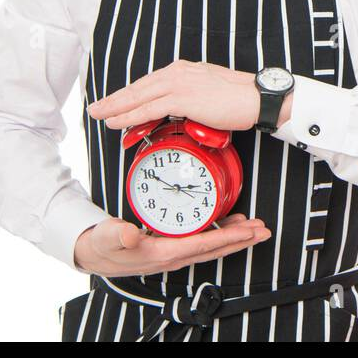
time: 2:50
